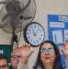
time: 11:07
